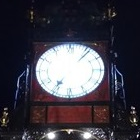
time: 7:06
